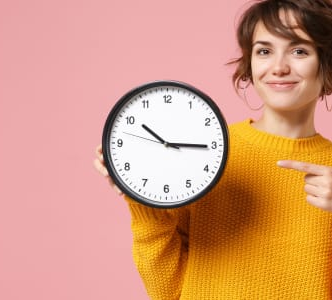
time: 10:15
